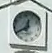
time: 12:40
